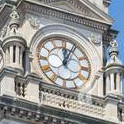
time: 12:04
